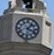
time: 1:18
